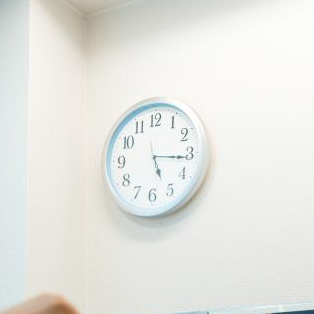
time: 5:15
